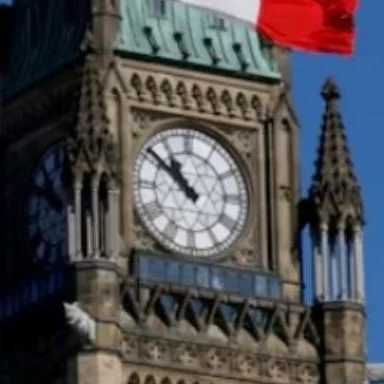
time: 10:51
